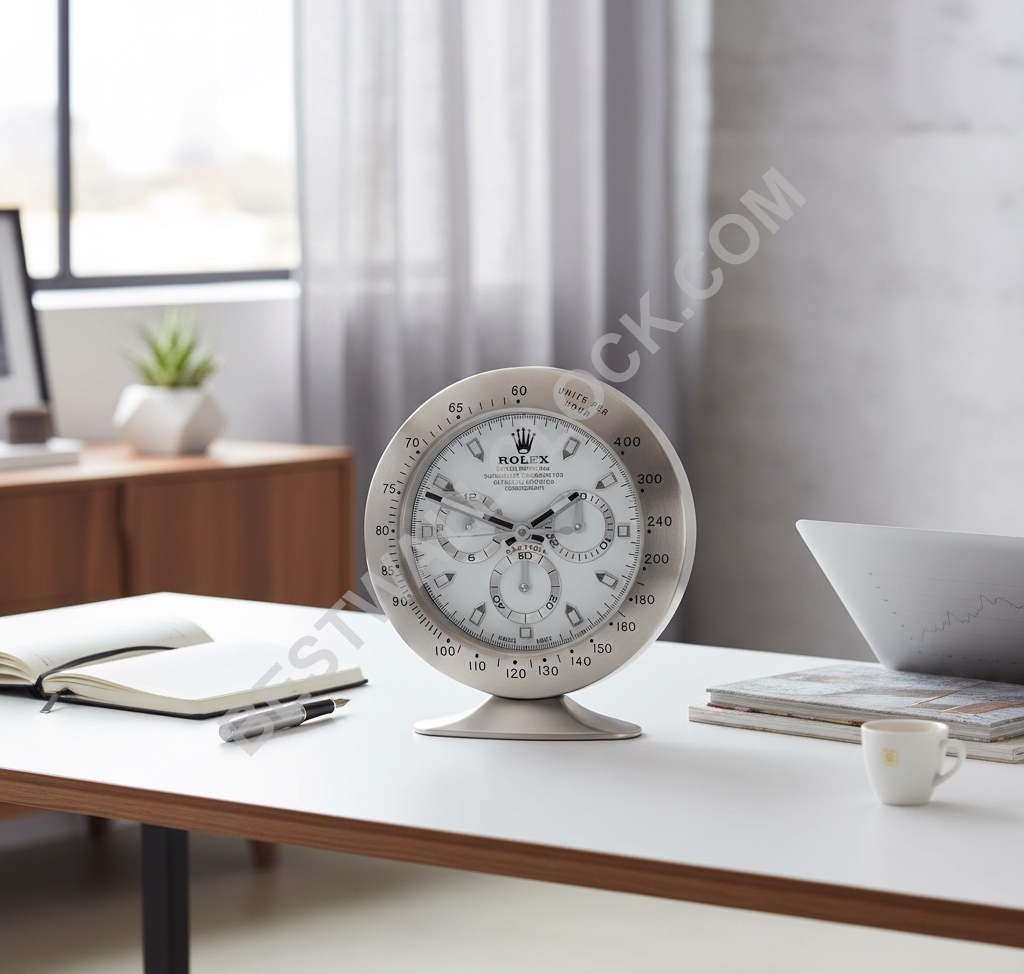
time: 1:47
